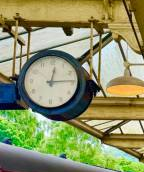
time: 12:14
